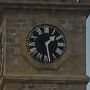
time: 1:28
